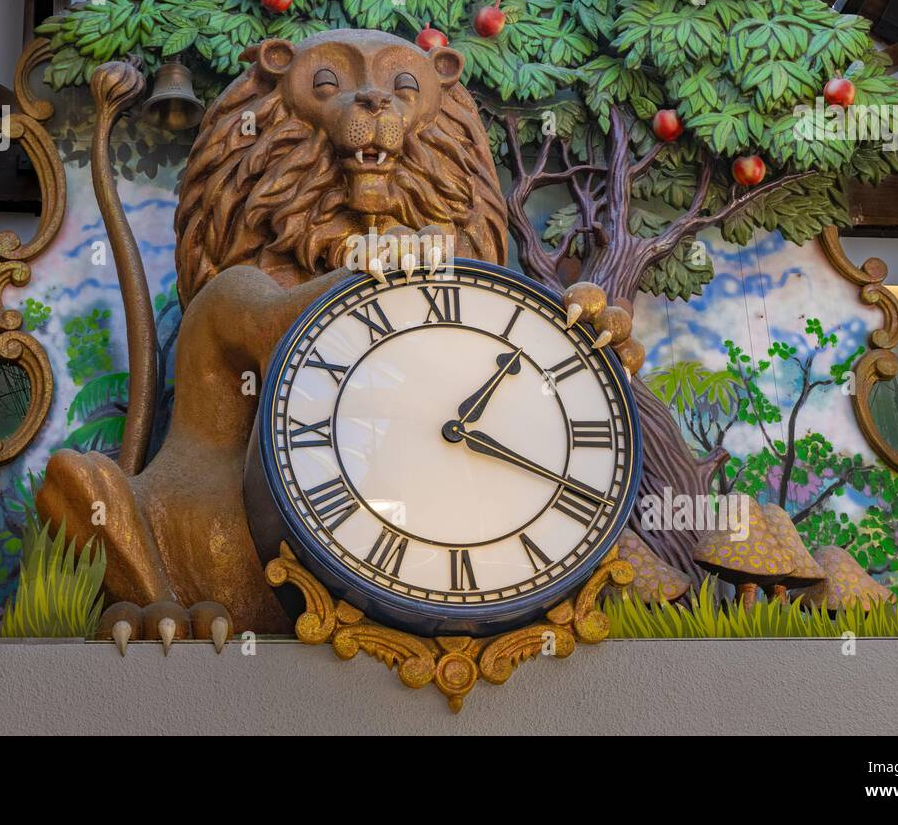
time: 1:19
